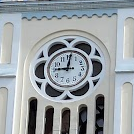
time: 9:01
